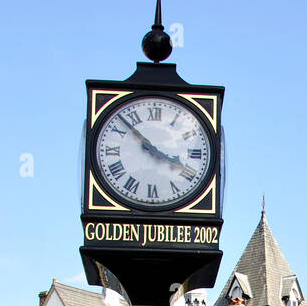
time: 3:52
